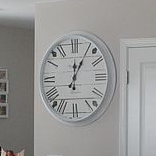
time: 12:04
